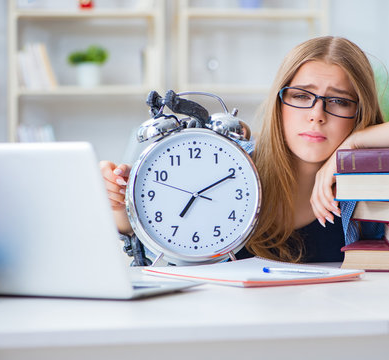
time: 7:10
